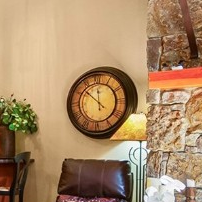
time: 11:52
